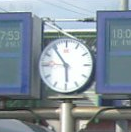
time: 5:53
